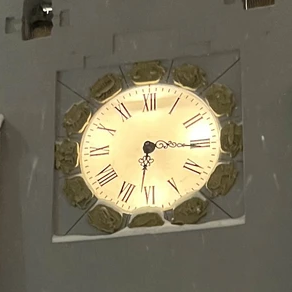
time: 6:15
